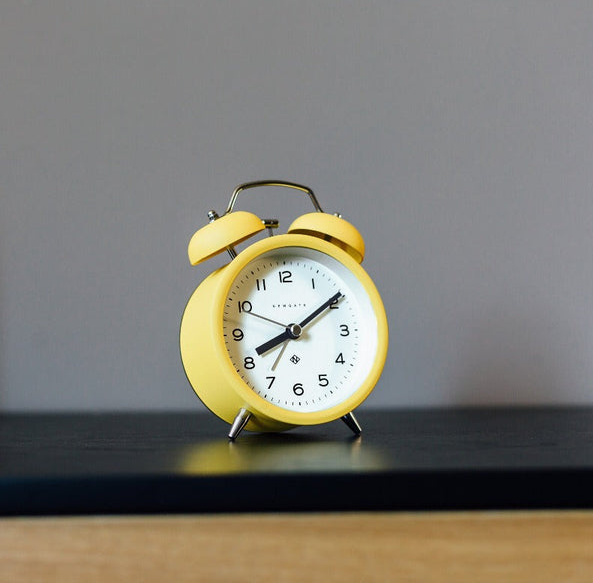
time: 8:09
